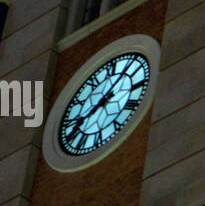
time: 8:07
